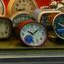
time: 10:07
